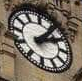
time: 2:06
